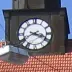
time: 3:40
